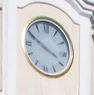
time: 3:49
